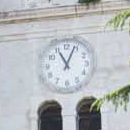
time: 11:03
